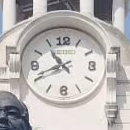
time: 10:41
